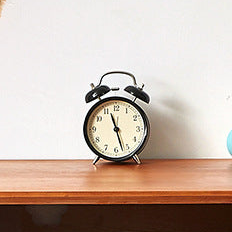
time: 11:27
